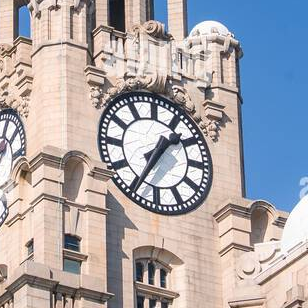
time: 1:35
